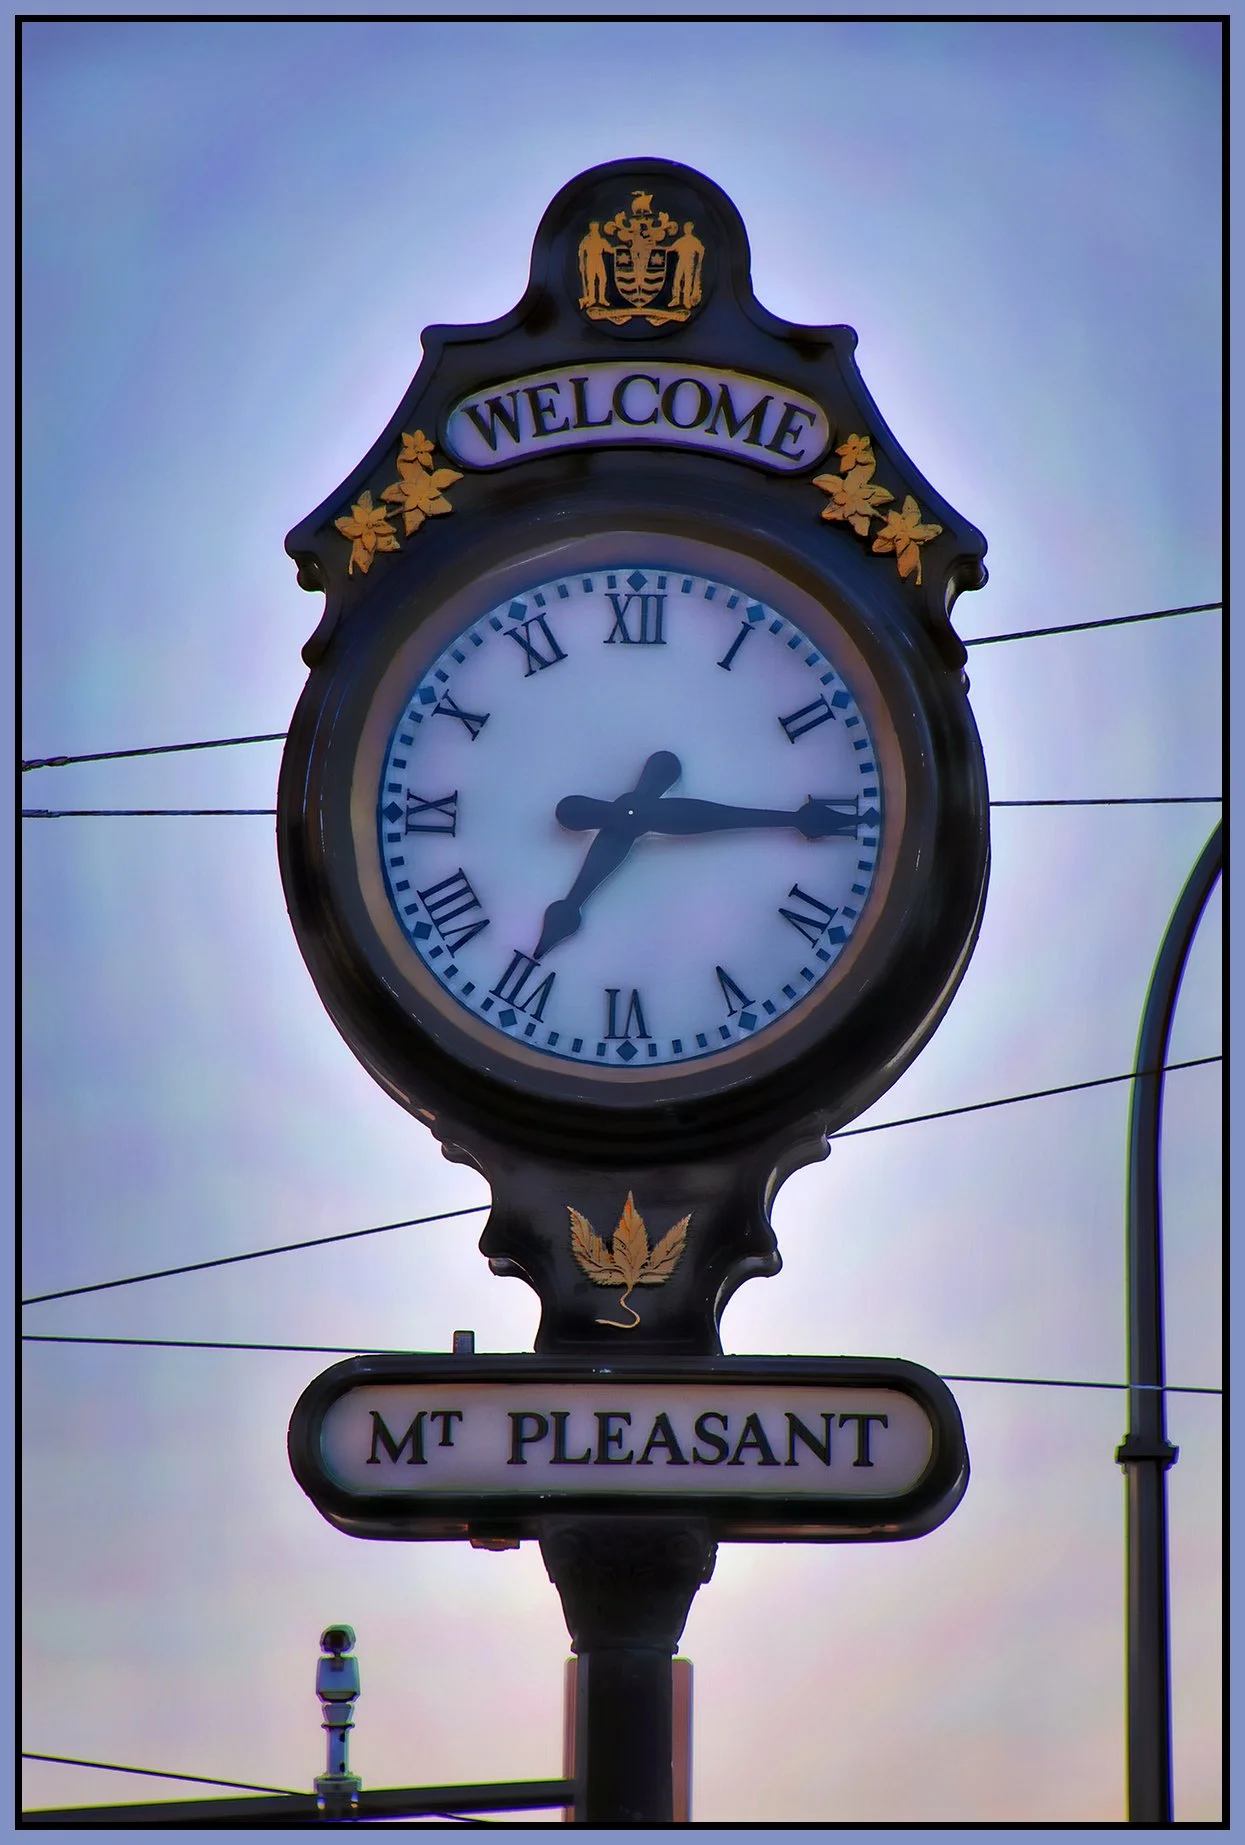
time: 7:15
